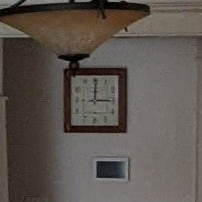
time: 3:00
